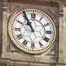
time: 10:55
